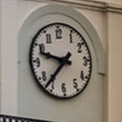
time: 9:37
